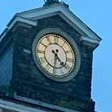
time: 4:31
